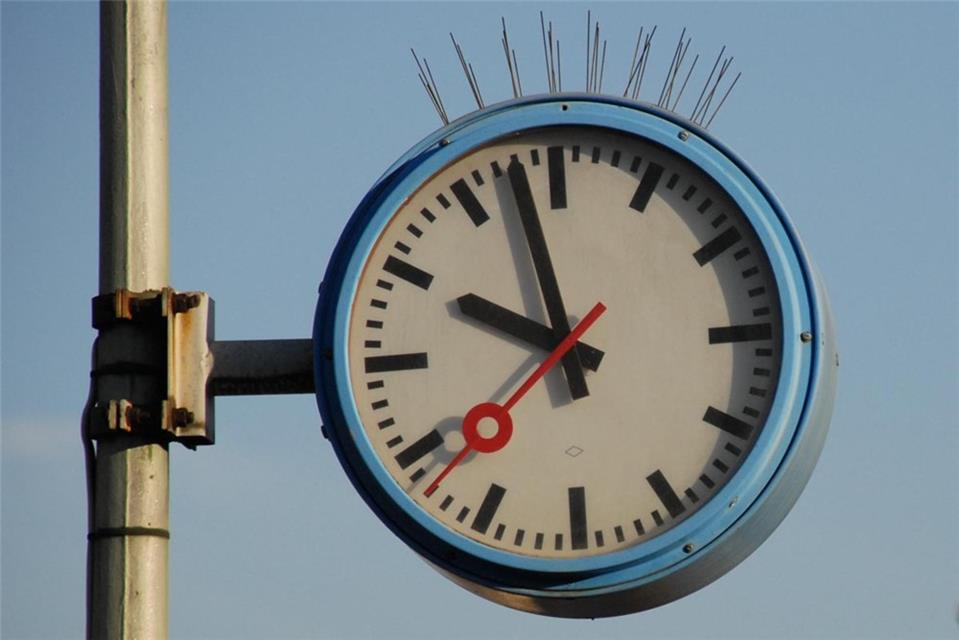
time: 9:57
